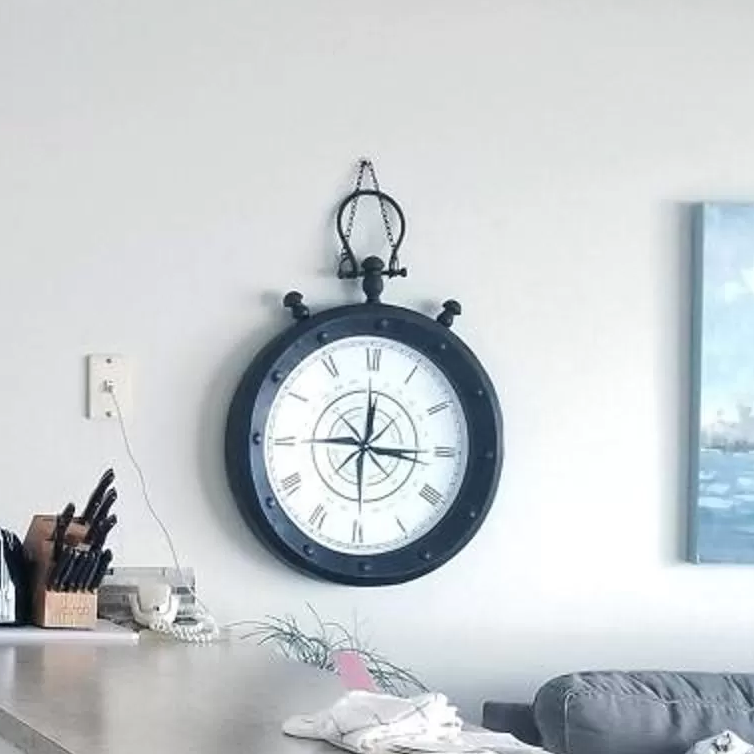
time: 12:15
